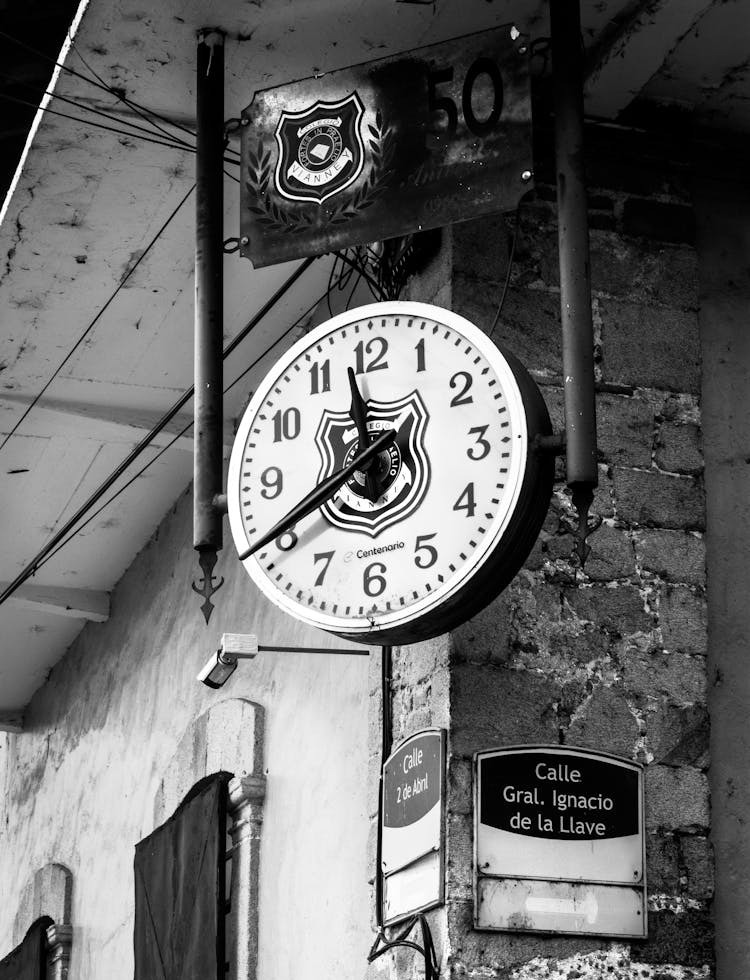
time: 11:40
